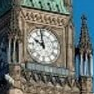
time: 9:57
